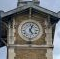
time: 5:03
